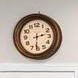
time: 2:31
